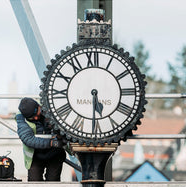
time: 5:30
